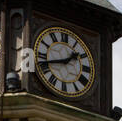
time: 1:42
